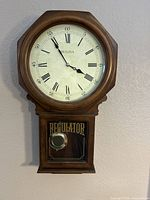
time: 3:54
